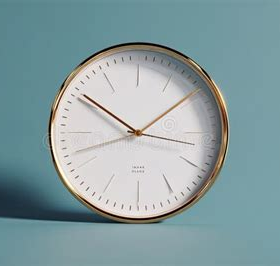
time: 10:16
